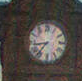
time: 8:36
